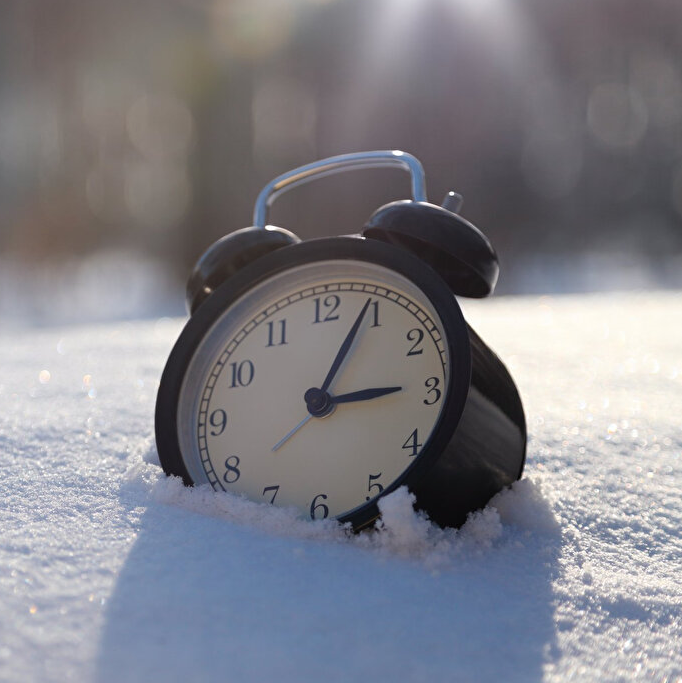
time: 3:04
